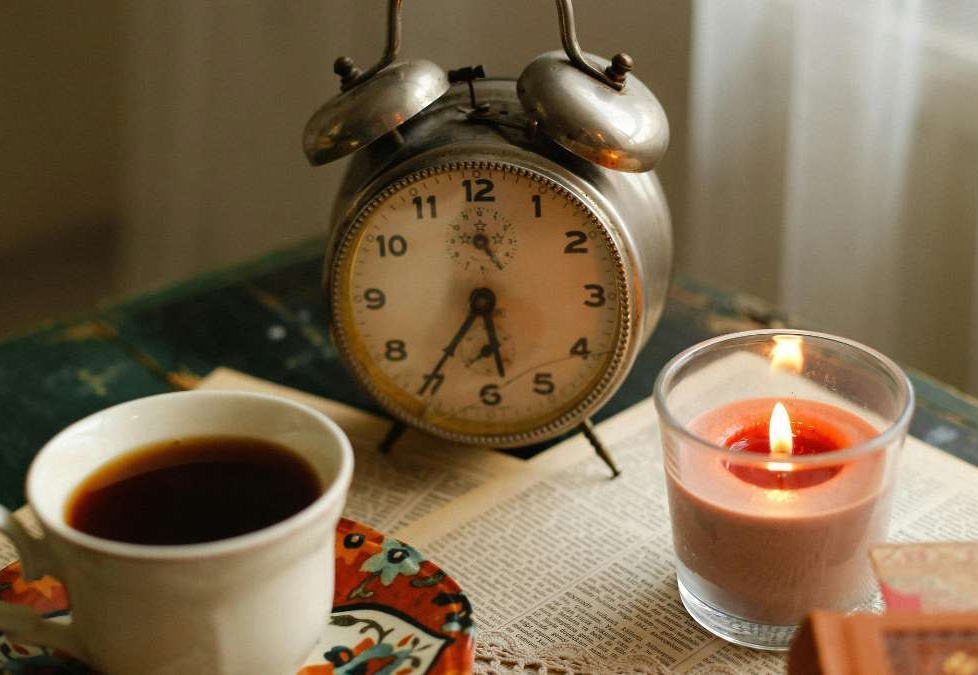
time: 5:35
